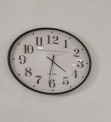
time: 4:31
